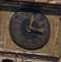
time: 12:16
